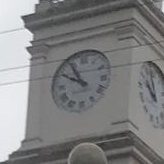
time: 9:54
